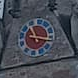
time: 11:17
